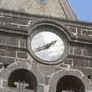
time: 7:40
